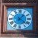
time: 1:21
